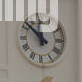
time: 11:52
